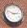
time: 2:48
